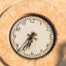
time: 6:36
